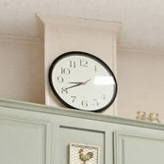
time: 8:40
